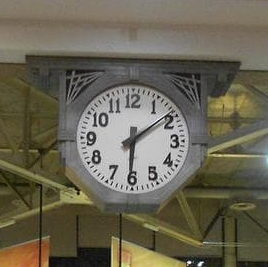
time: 6:08
